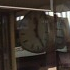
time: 12:24
